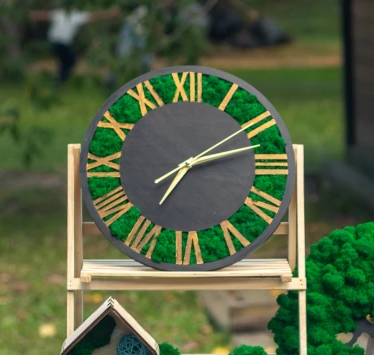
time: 7:12
